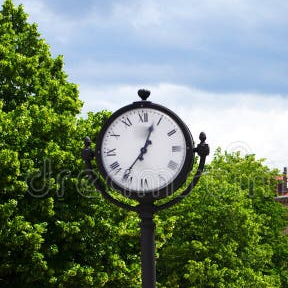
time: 12:36
